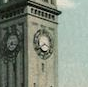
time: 3:40
